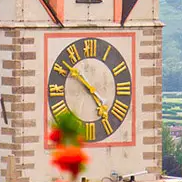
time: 4:51
